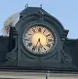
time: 5:33
